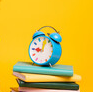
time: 9:01
